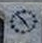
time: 4:52
